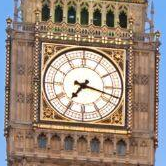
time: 7:17
